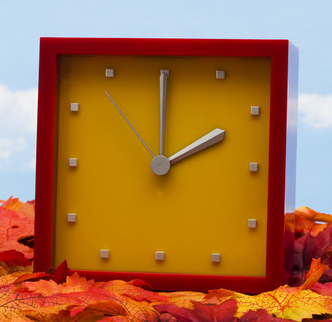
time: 2:00
